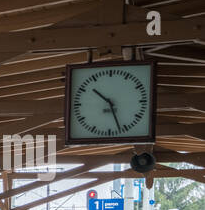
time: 10:26
